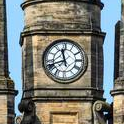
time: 11:41
